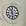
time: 11:28
